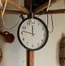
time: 11:46
